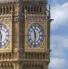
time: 11:31
